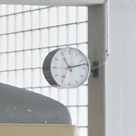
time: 11:12
